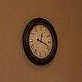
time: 12:18
